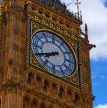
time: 7:40
